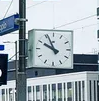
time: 9:56
